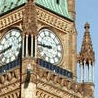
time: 8:43
